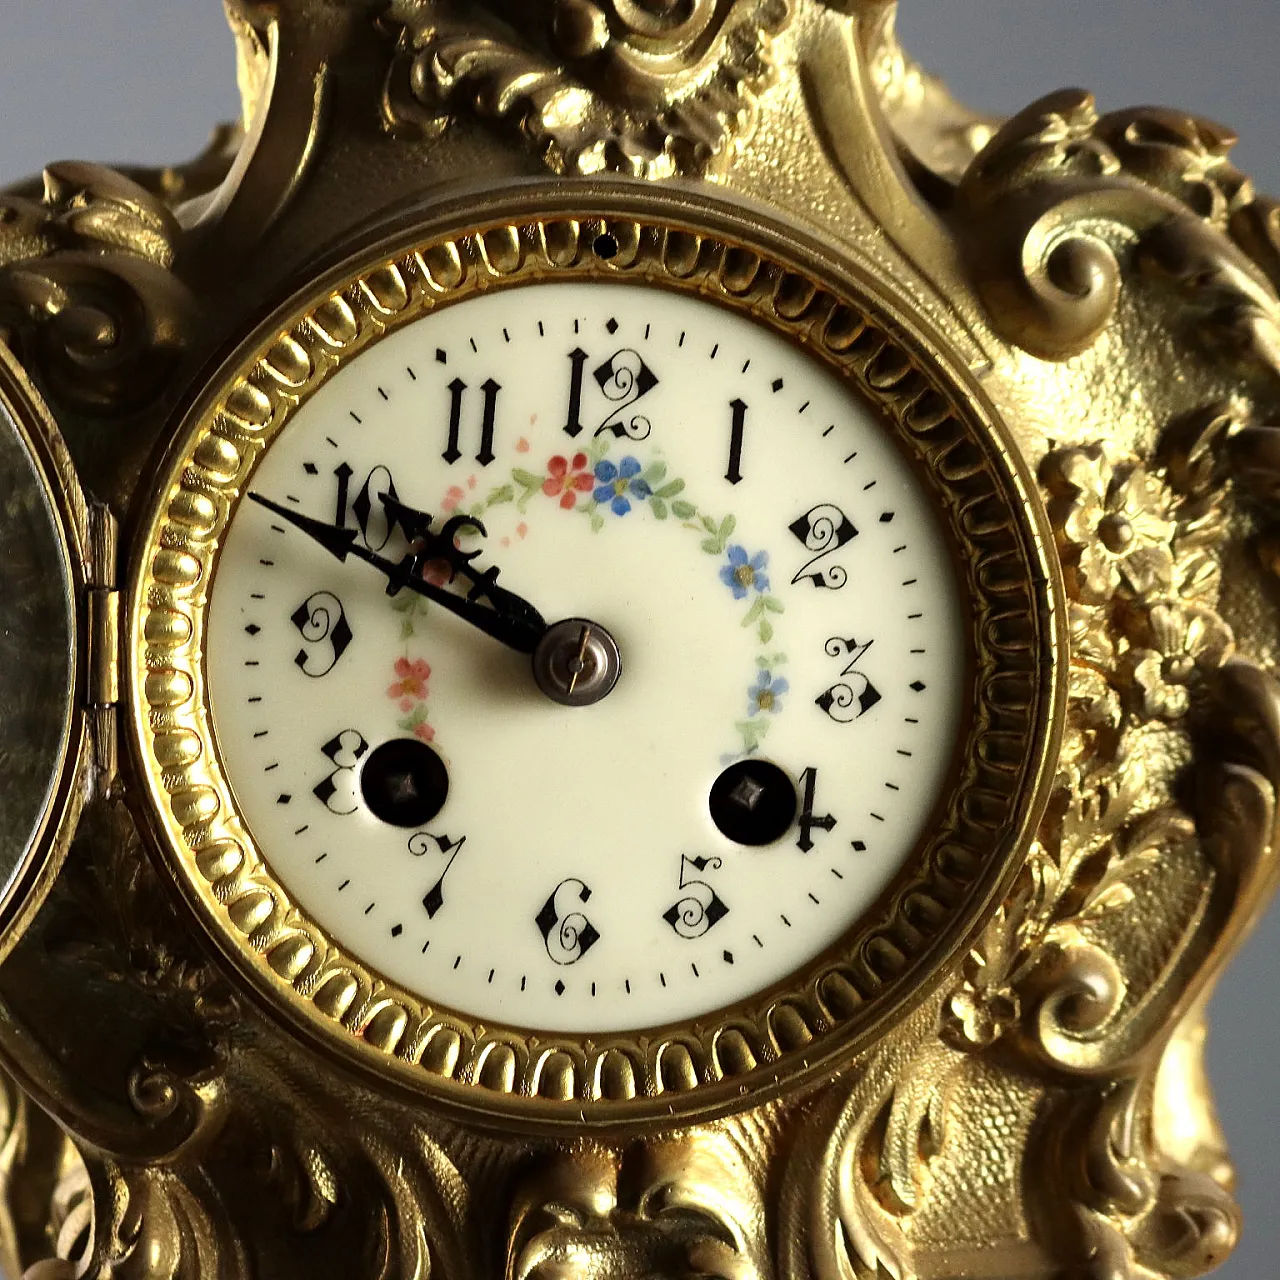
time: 9:48
